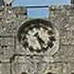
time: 4:26
